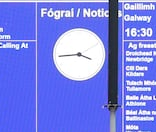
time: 3:44
